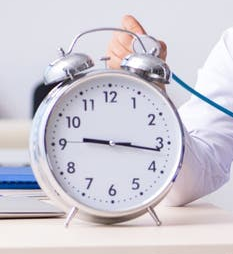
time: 9:16
